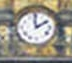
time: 1:59
